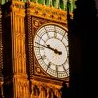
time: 9:47
